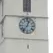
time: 12:36
